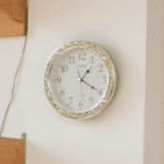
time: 1:20
